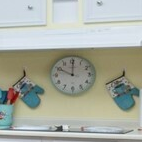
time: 10:00
